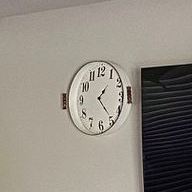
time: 1:23
